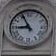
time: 8:55
